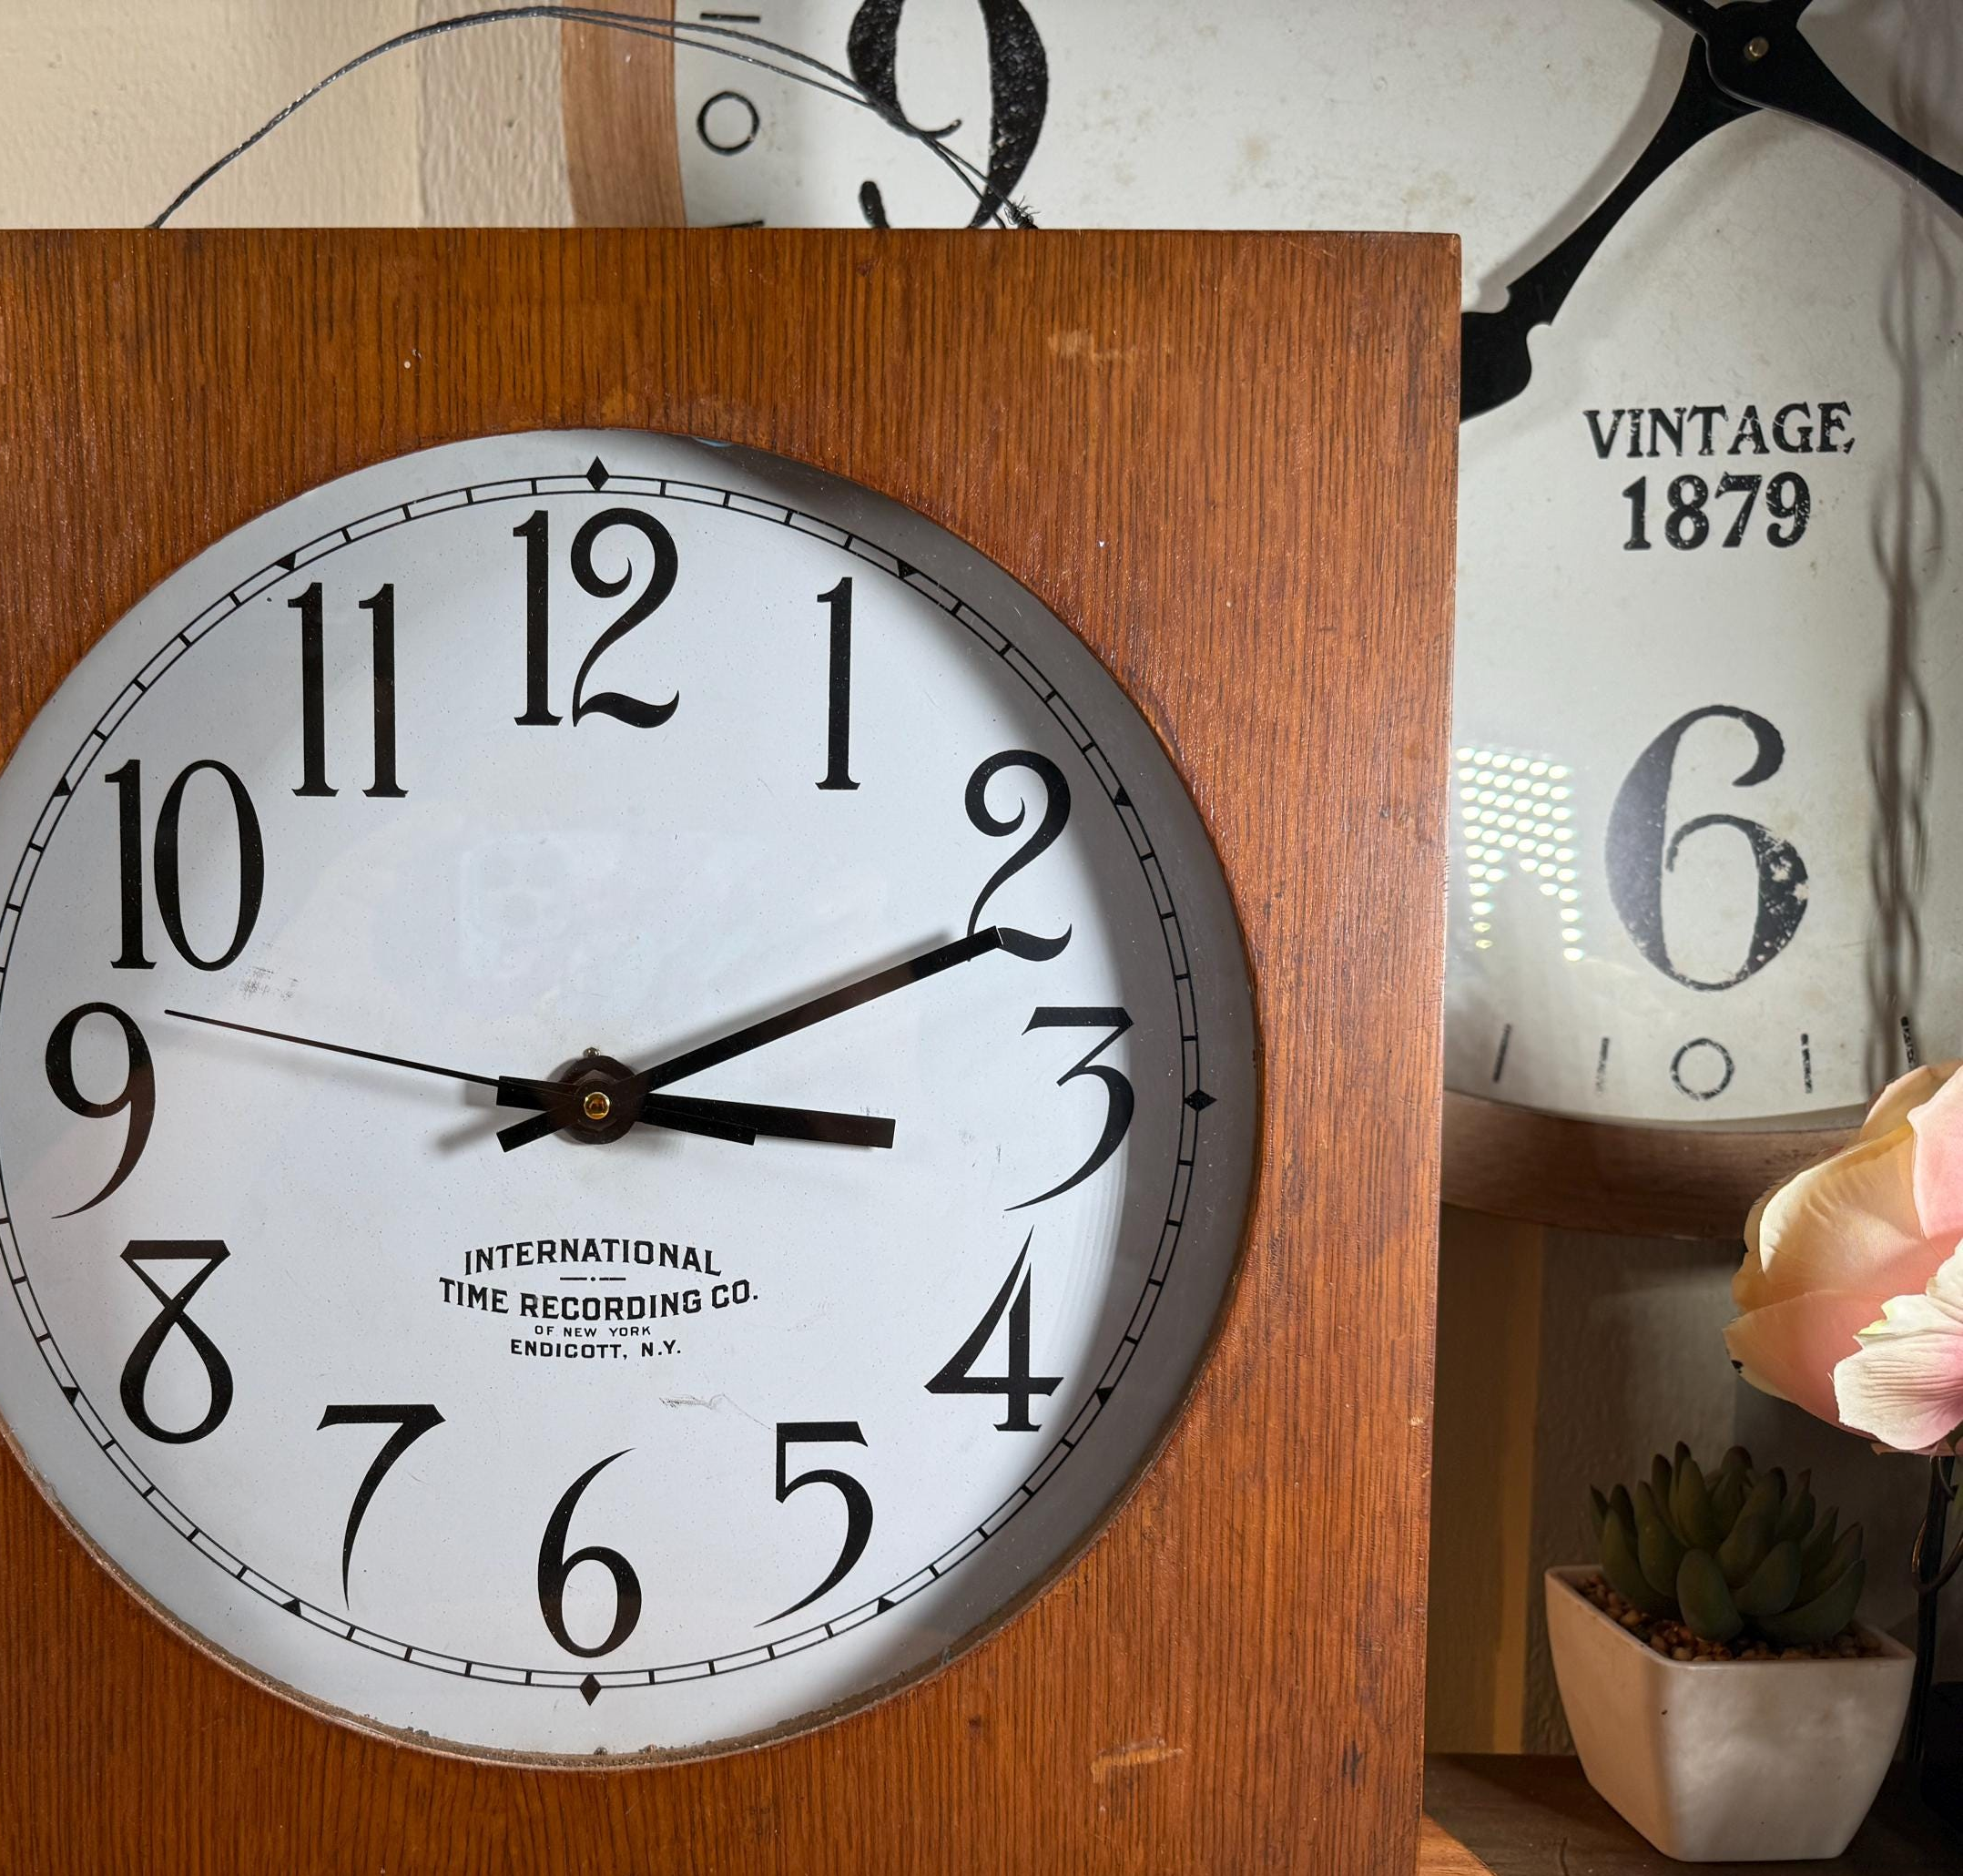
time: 3:11
